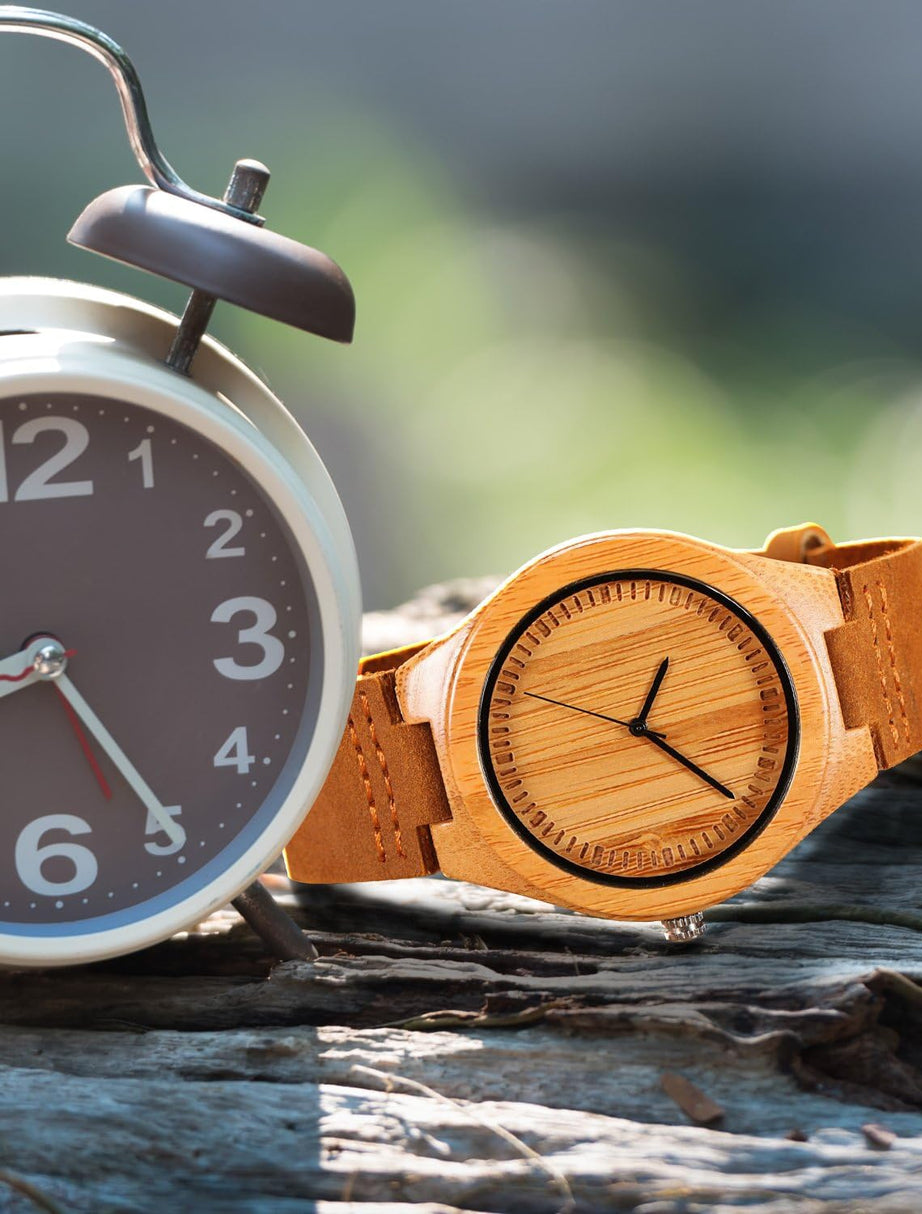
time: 12:19
